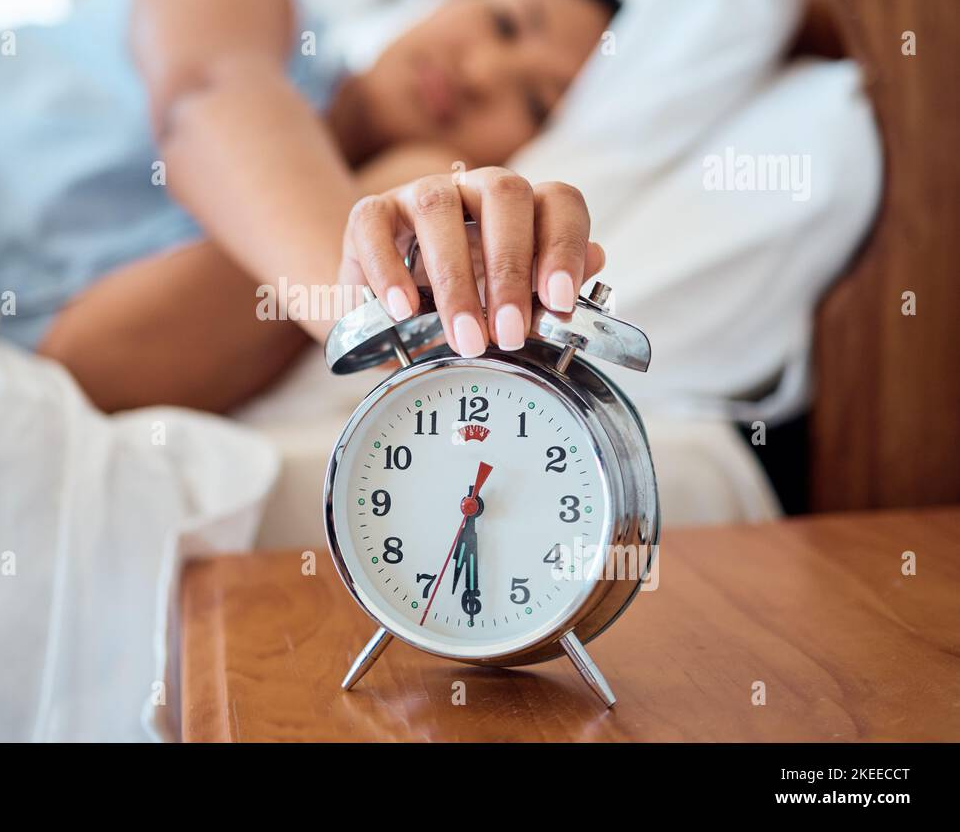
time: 6:29
